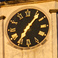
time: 7:06
